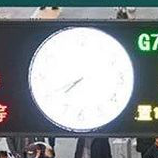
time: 7:40
